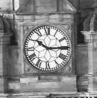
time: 10:14
